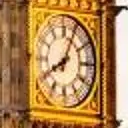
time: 8:04
